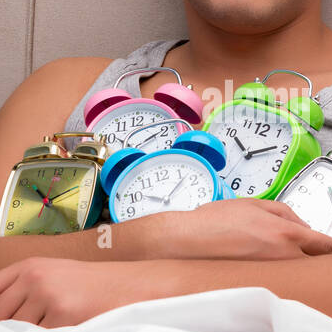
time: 10:07
